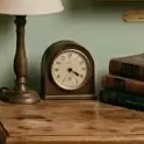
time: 4:20
